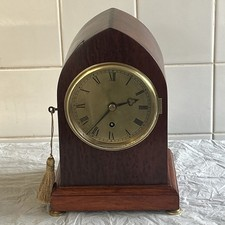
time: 2:36
